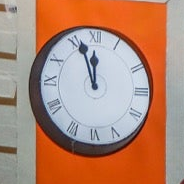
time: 11:56
